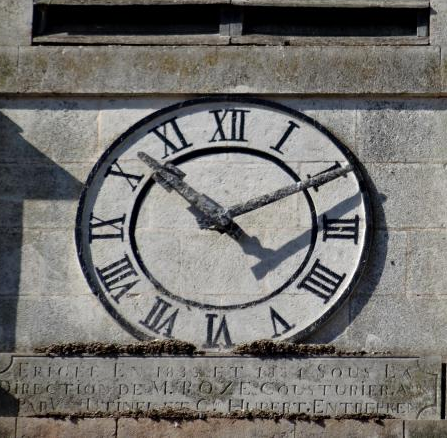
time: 4:10
